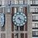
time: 5:18
